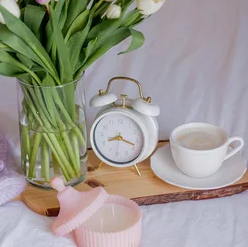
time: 8:18
